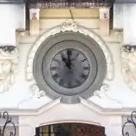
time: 10:59
